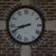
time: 8:41
